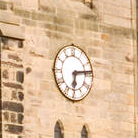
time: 6:13
